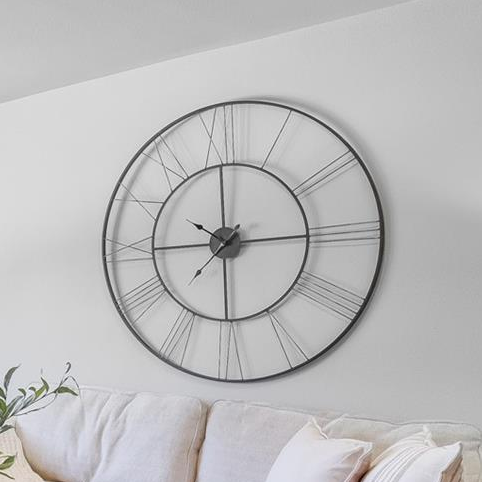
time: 9:00
